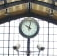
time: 10:00
